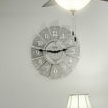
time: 2:46
